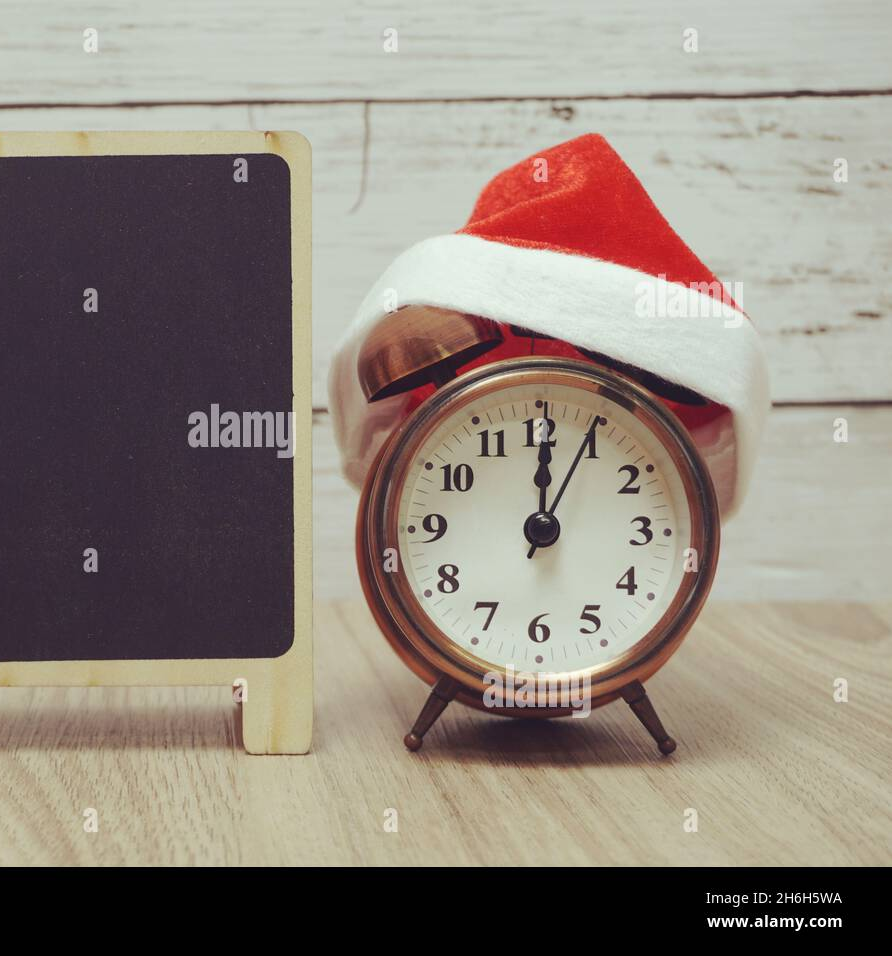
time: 12:04
